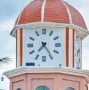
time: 7:24
